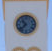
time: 10:37
